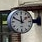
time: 11:49
